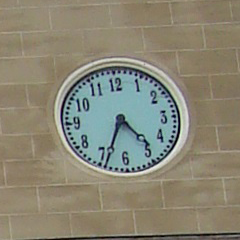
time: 4:34
